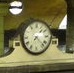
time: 7:22
